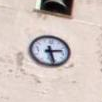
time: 2:27
